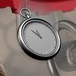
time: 10:51
